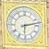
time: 6:12
